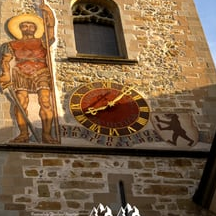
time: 8:07
